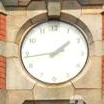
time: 1:43
